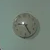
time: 9:25
